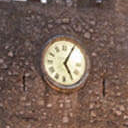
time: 5:05
